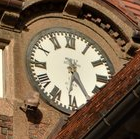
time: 6:25
